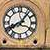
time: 8:06
